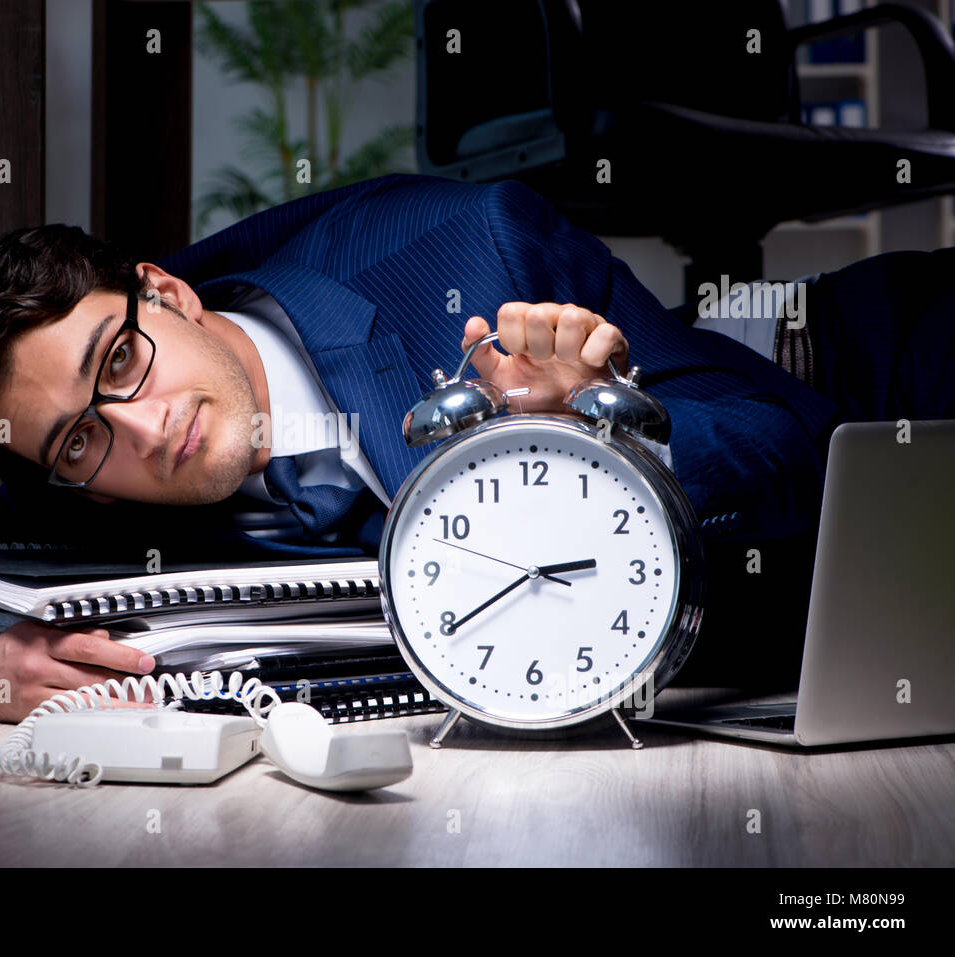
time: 2:39
